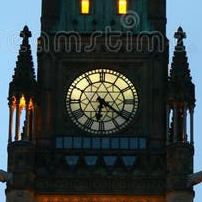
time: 6:21
